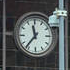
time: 11:36
